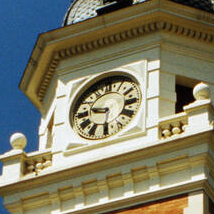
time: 9:30
